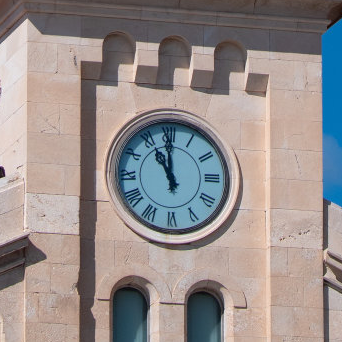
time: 10:59
